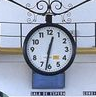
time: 12:31
